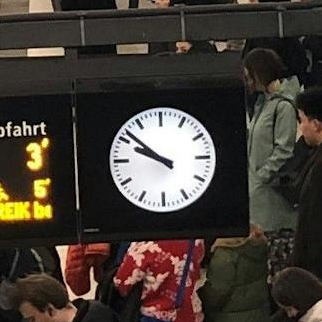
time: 9:51
